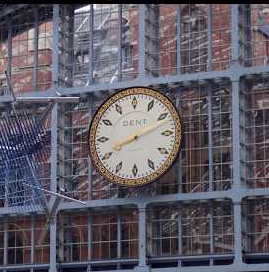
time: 8:11
